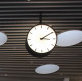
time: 3:09
